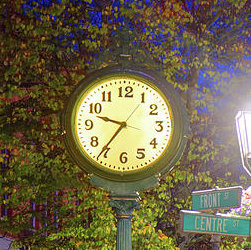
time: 9:36
